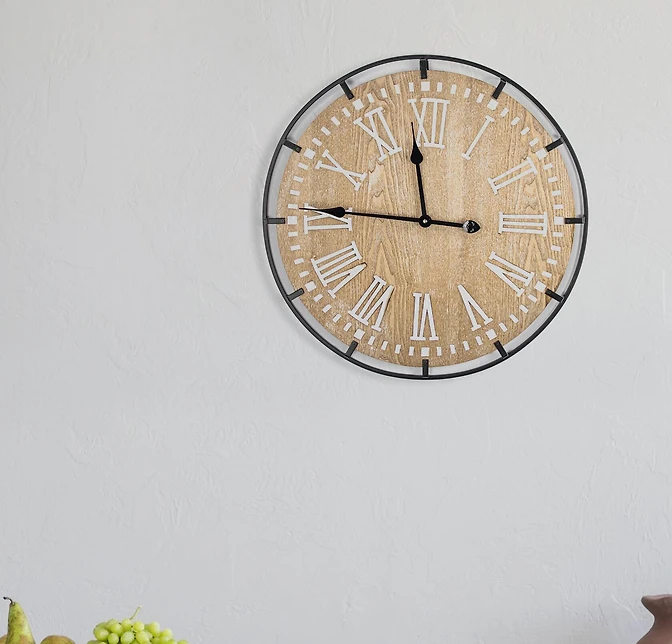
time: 11:45
